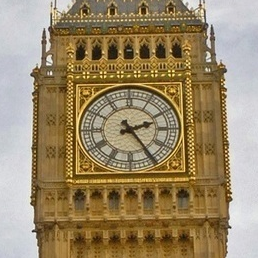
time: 2:24
